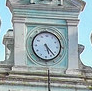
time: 5:22
